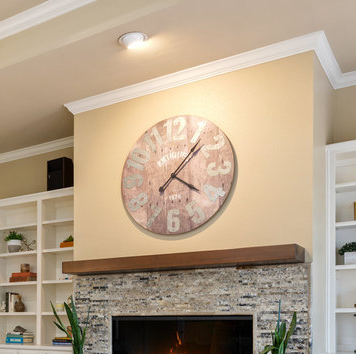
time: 4:07
